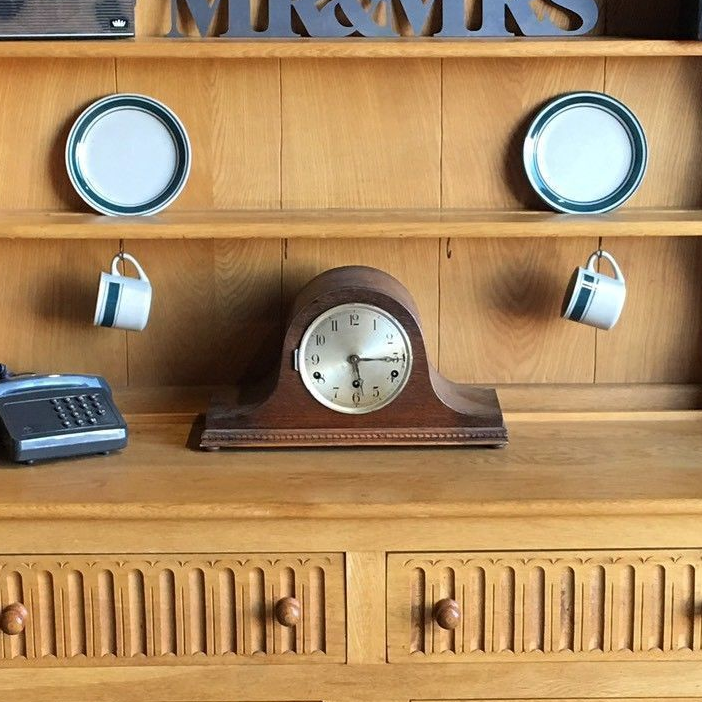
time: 5:15
